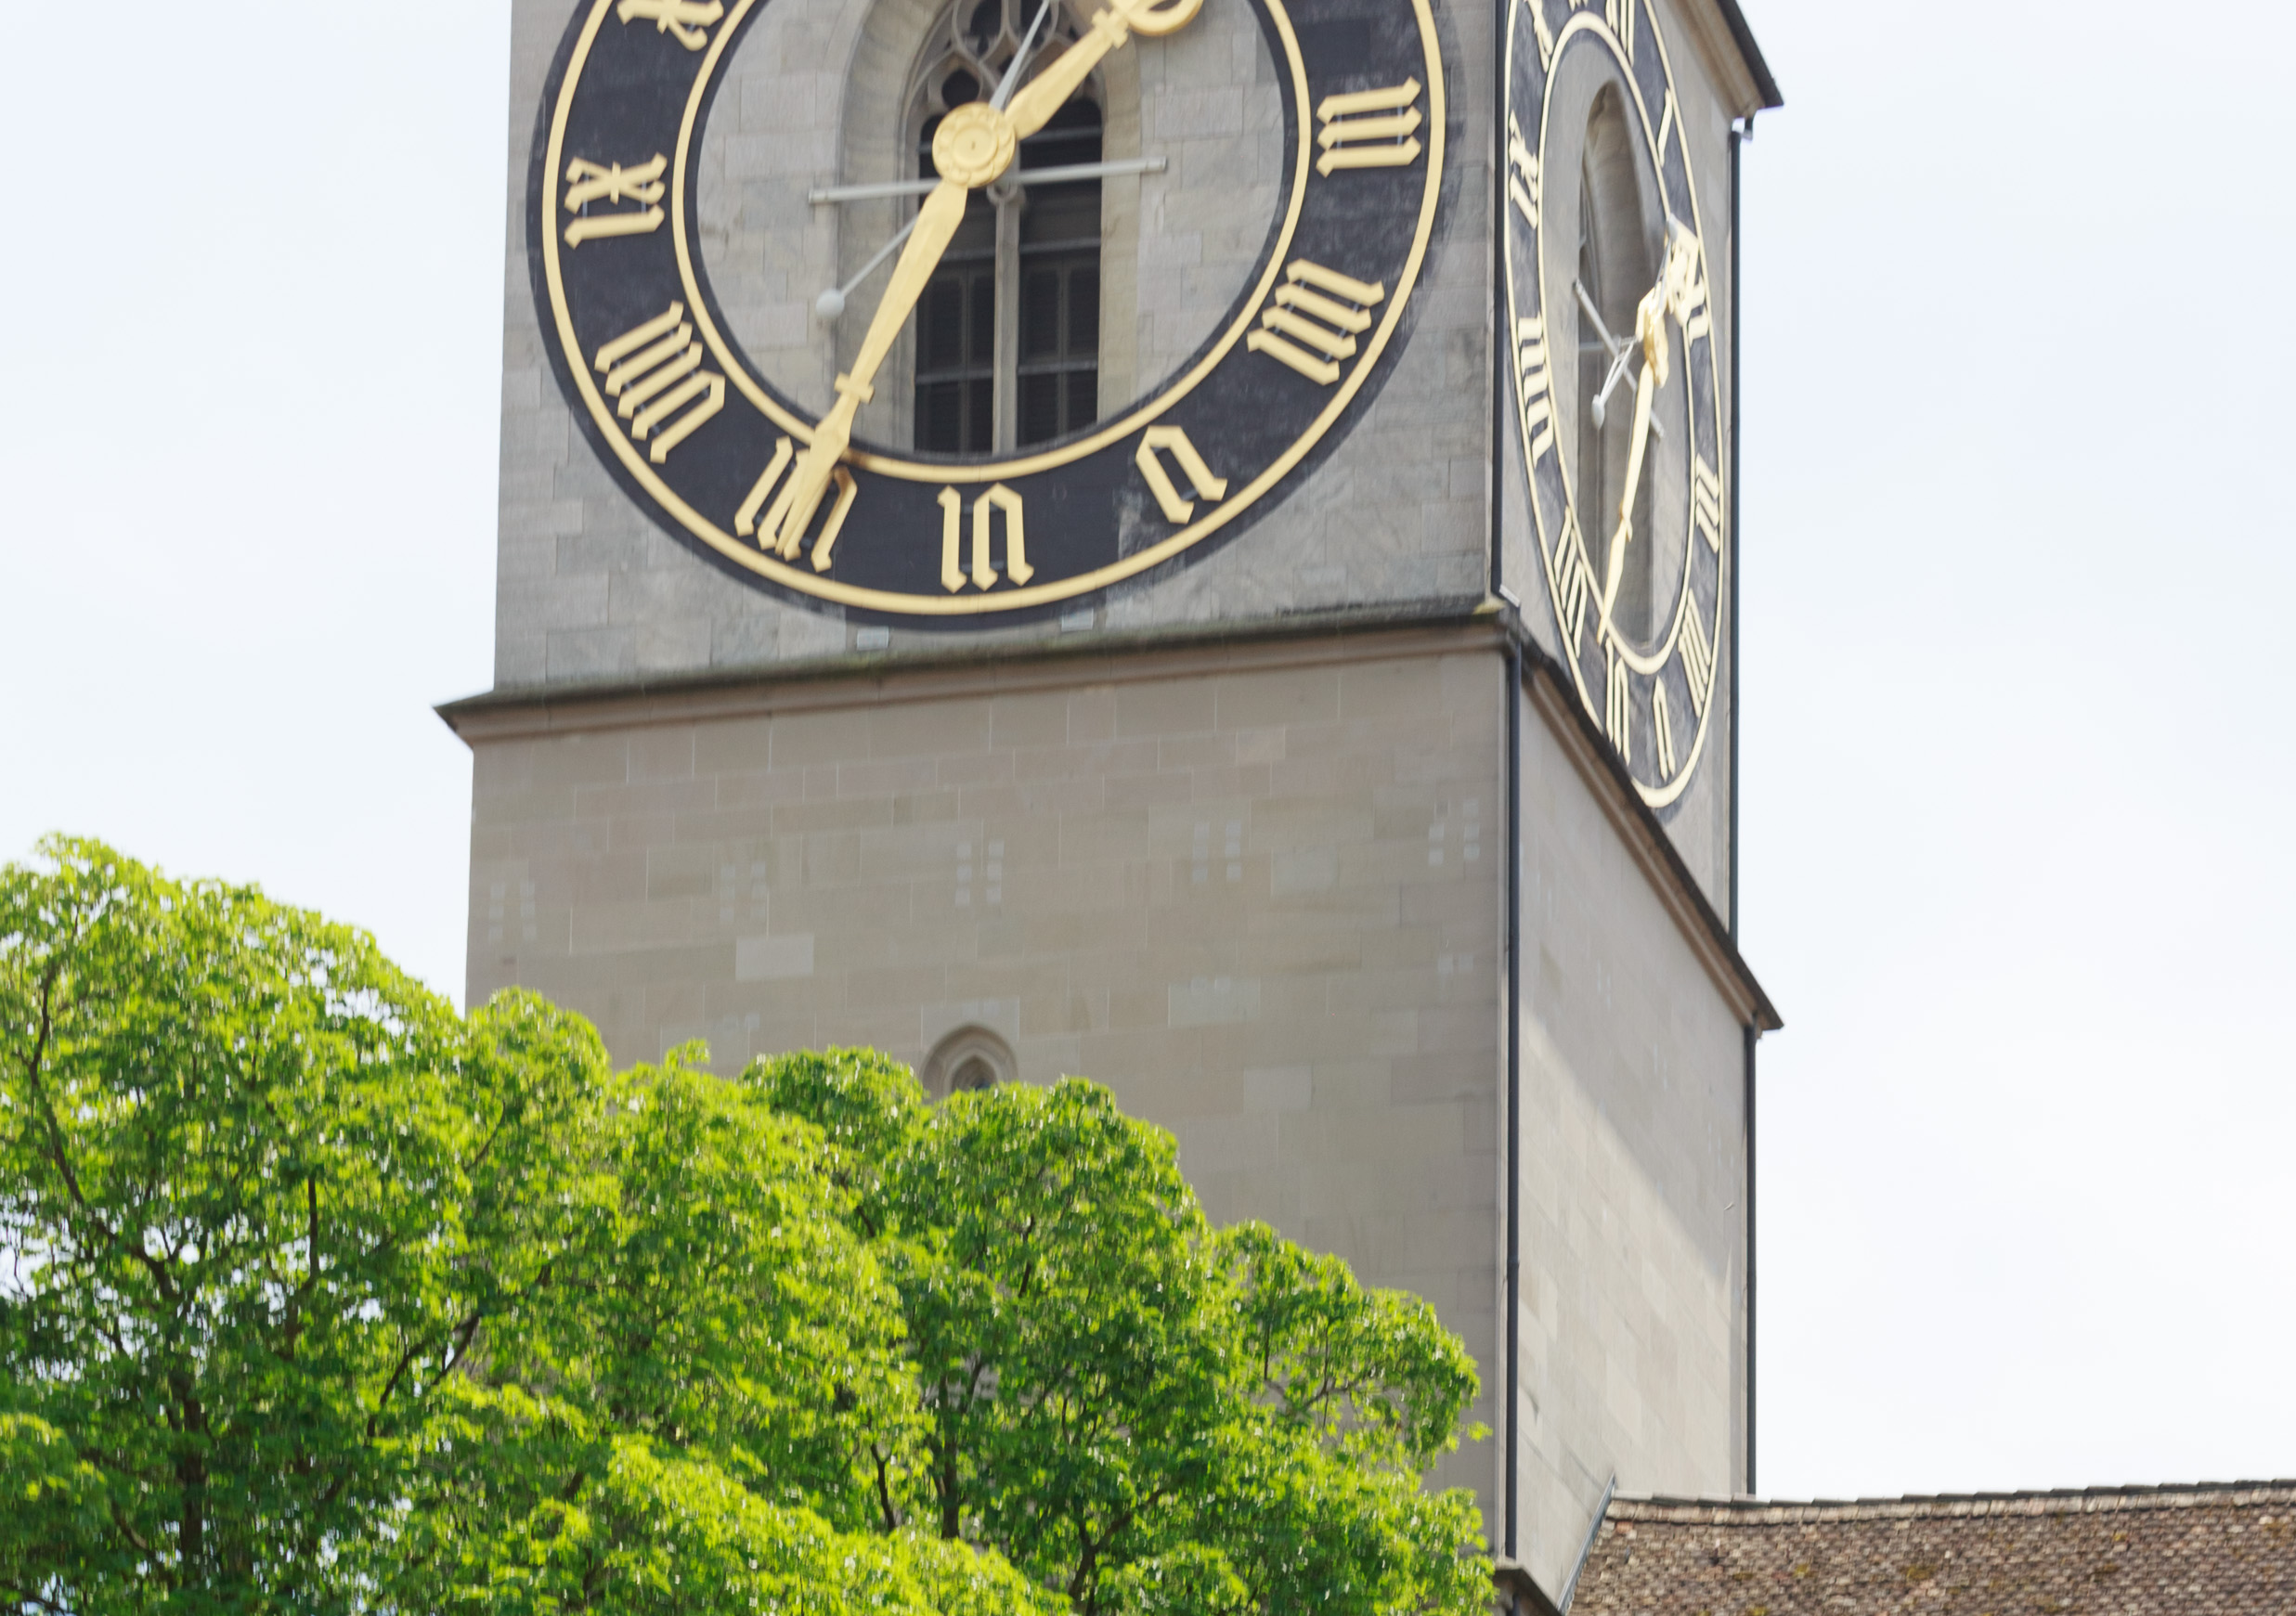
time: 1:34
